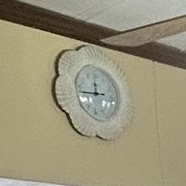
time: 11:43
